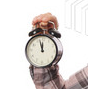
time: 11:57
